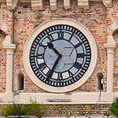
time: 10:34
